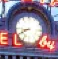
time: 8:40
